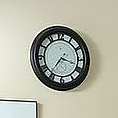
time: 7:17
